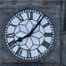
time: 8:06
